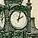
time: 2:02
